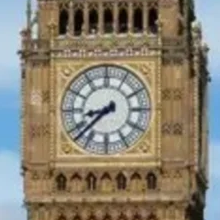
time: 8:37
